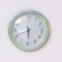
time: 5:41
